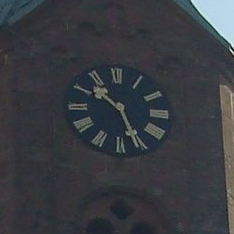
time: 10:26
